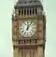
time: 12:05
